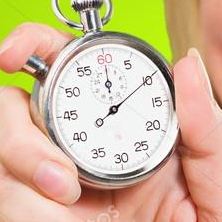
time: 12:09
